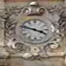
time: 3:48
